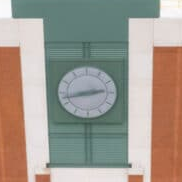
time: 2:42
